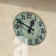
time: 12:49
